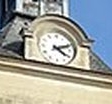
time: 4:11
